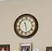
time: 11:28
